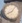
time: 8:06
